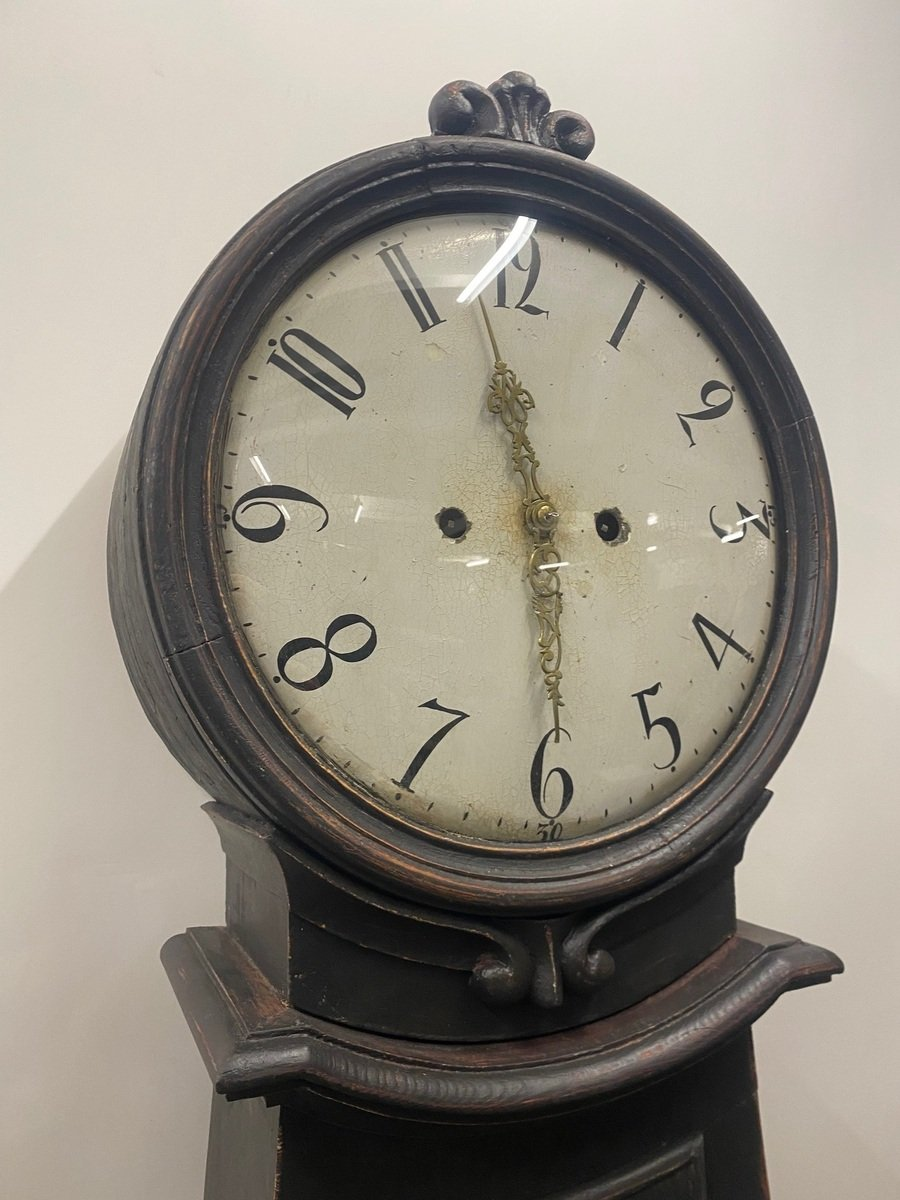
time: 11:29
